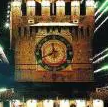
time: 11:41
